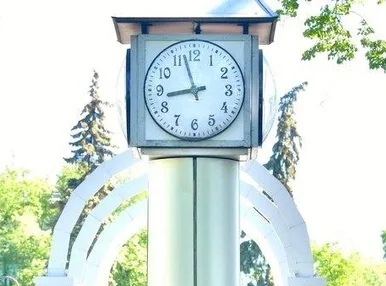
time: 8:57
